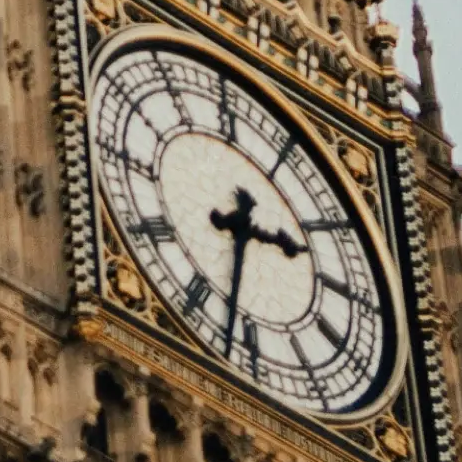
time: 2:32
